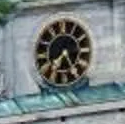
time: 7:25
